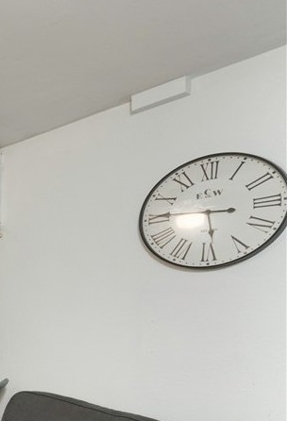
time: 5:45
